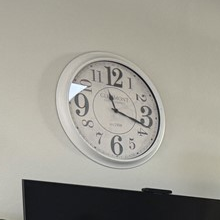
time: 11:18
